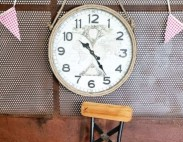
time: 10:24
